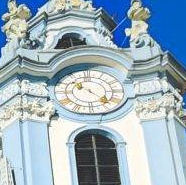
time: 10:22
